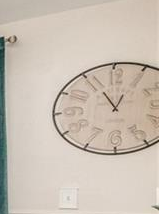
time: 12:55
